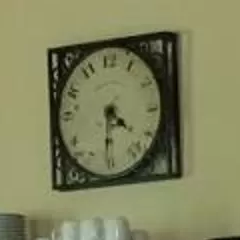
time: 4:31
